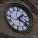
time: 1:18
